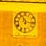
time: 11:15
